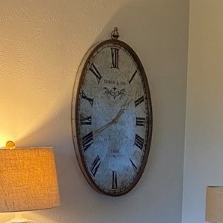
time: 1:40
